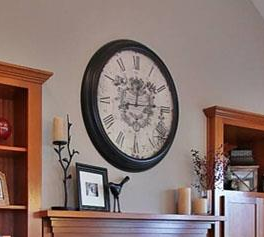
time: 12:13
